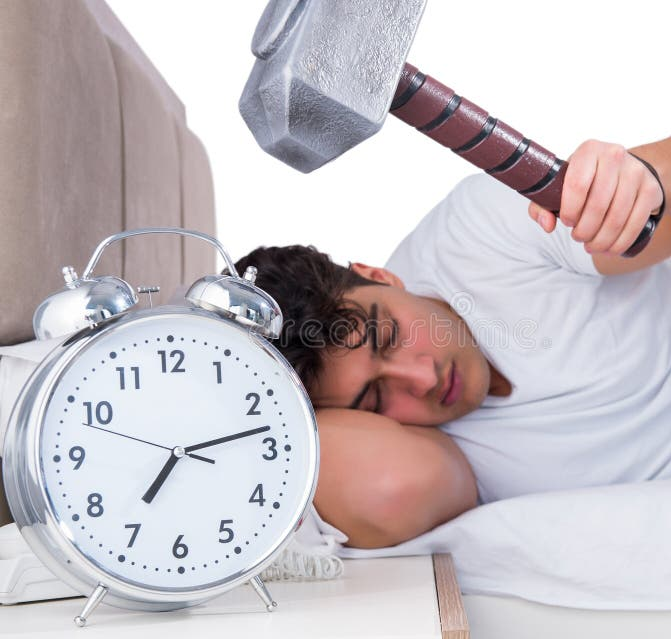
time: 7:12
